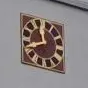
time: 11:41
